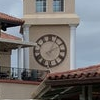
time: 2:04
